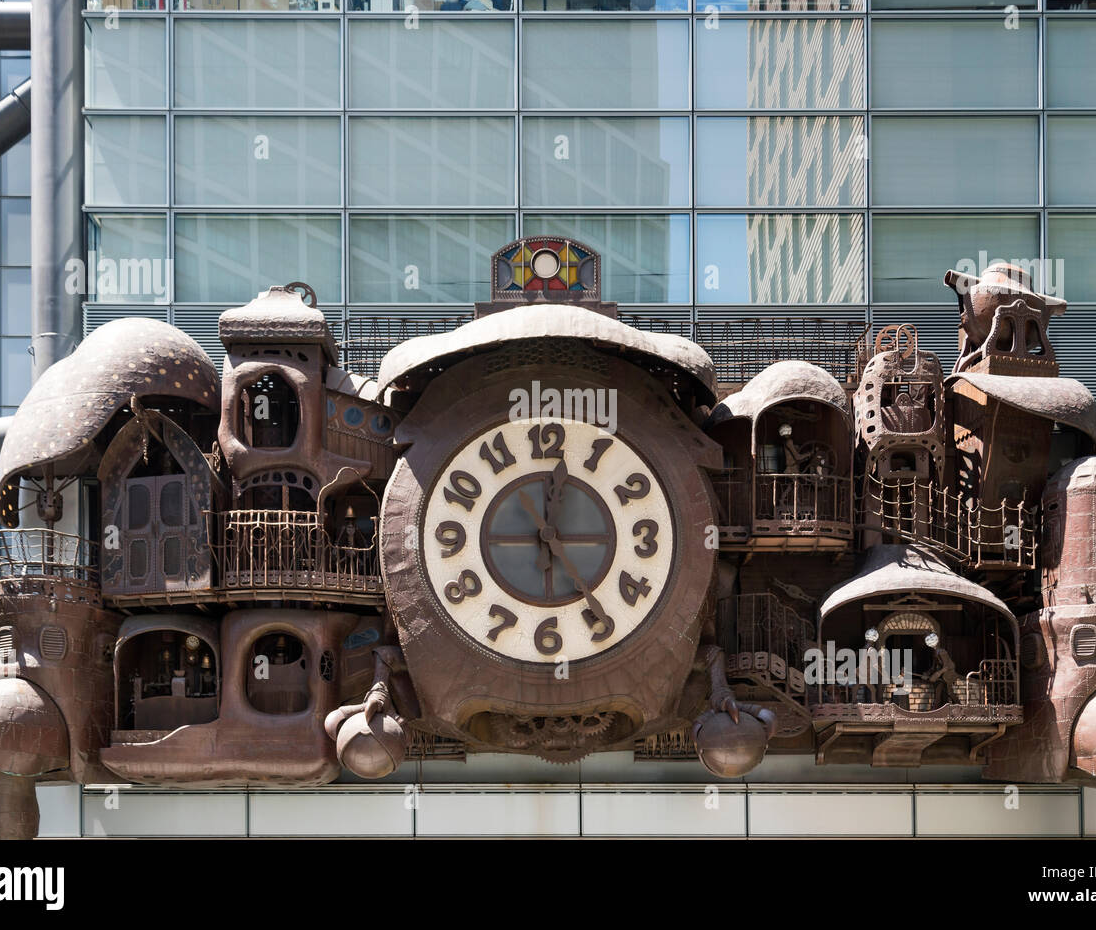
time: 12:24
